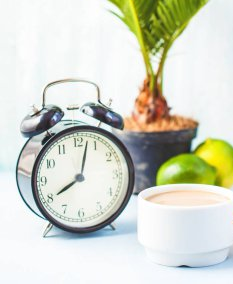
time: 8:02
